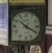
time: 10:19
